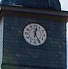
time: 12:24
